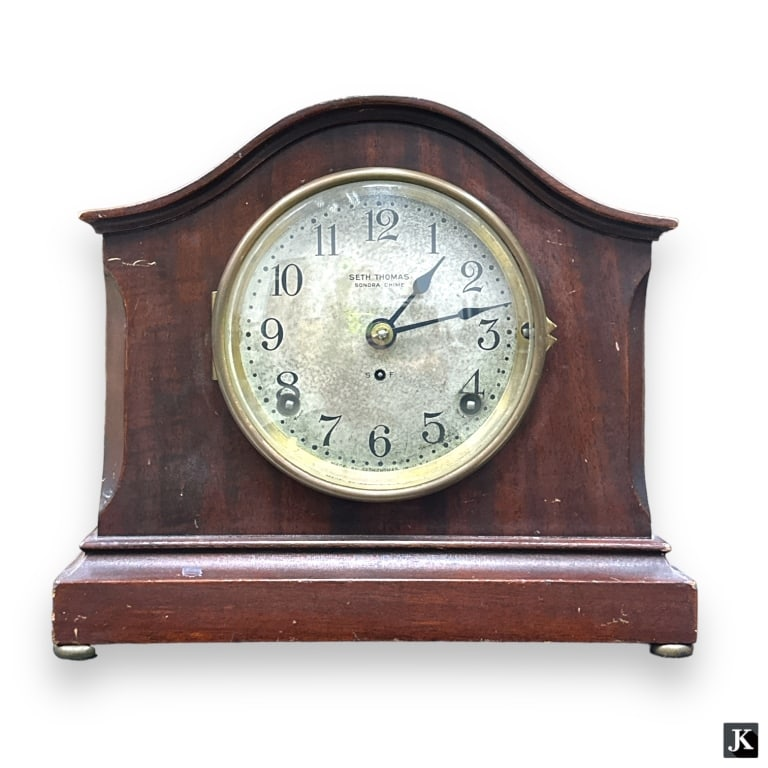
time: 1:12
